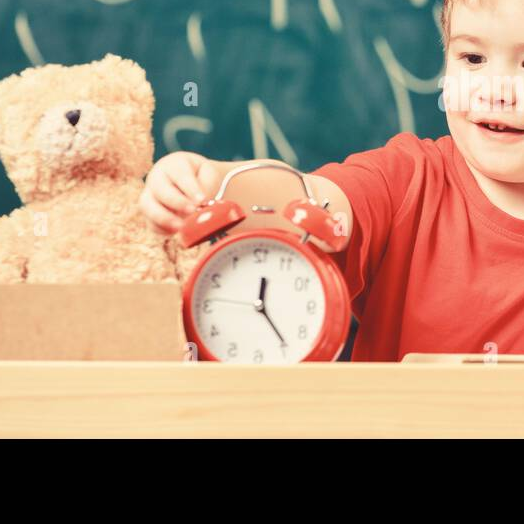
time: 12:24
